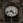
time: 4:42
